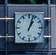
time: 1:03
